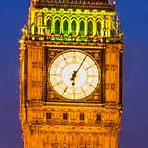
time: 6:05
